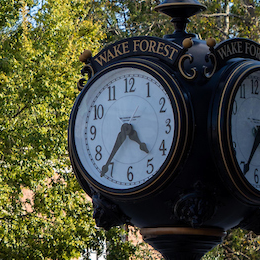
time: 4:36
